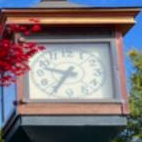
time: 9:35
